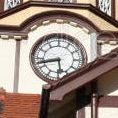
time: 5:42
